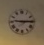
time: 9:14
